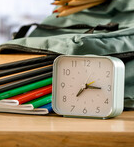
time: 7:15
